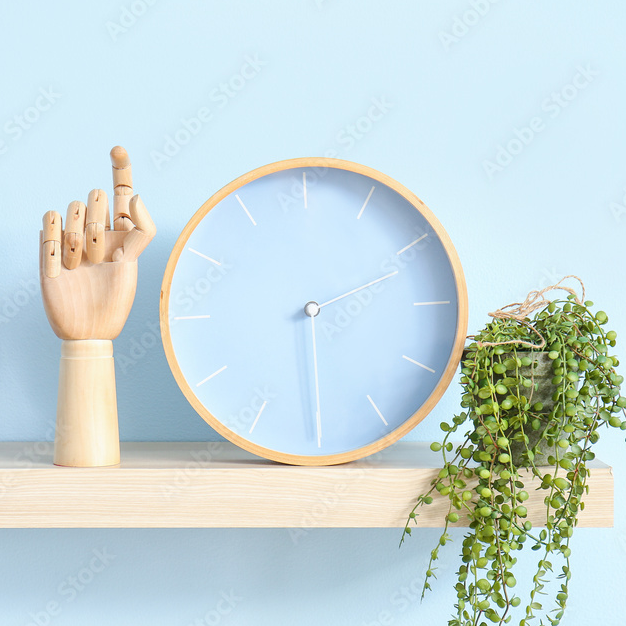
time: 2:29
